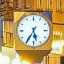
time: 5:35
